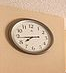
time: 7:43
